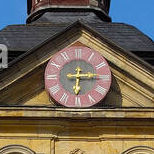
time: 6:15
